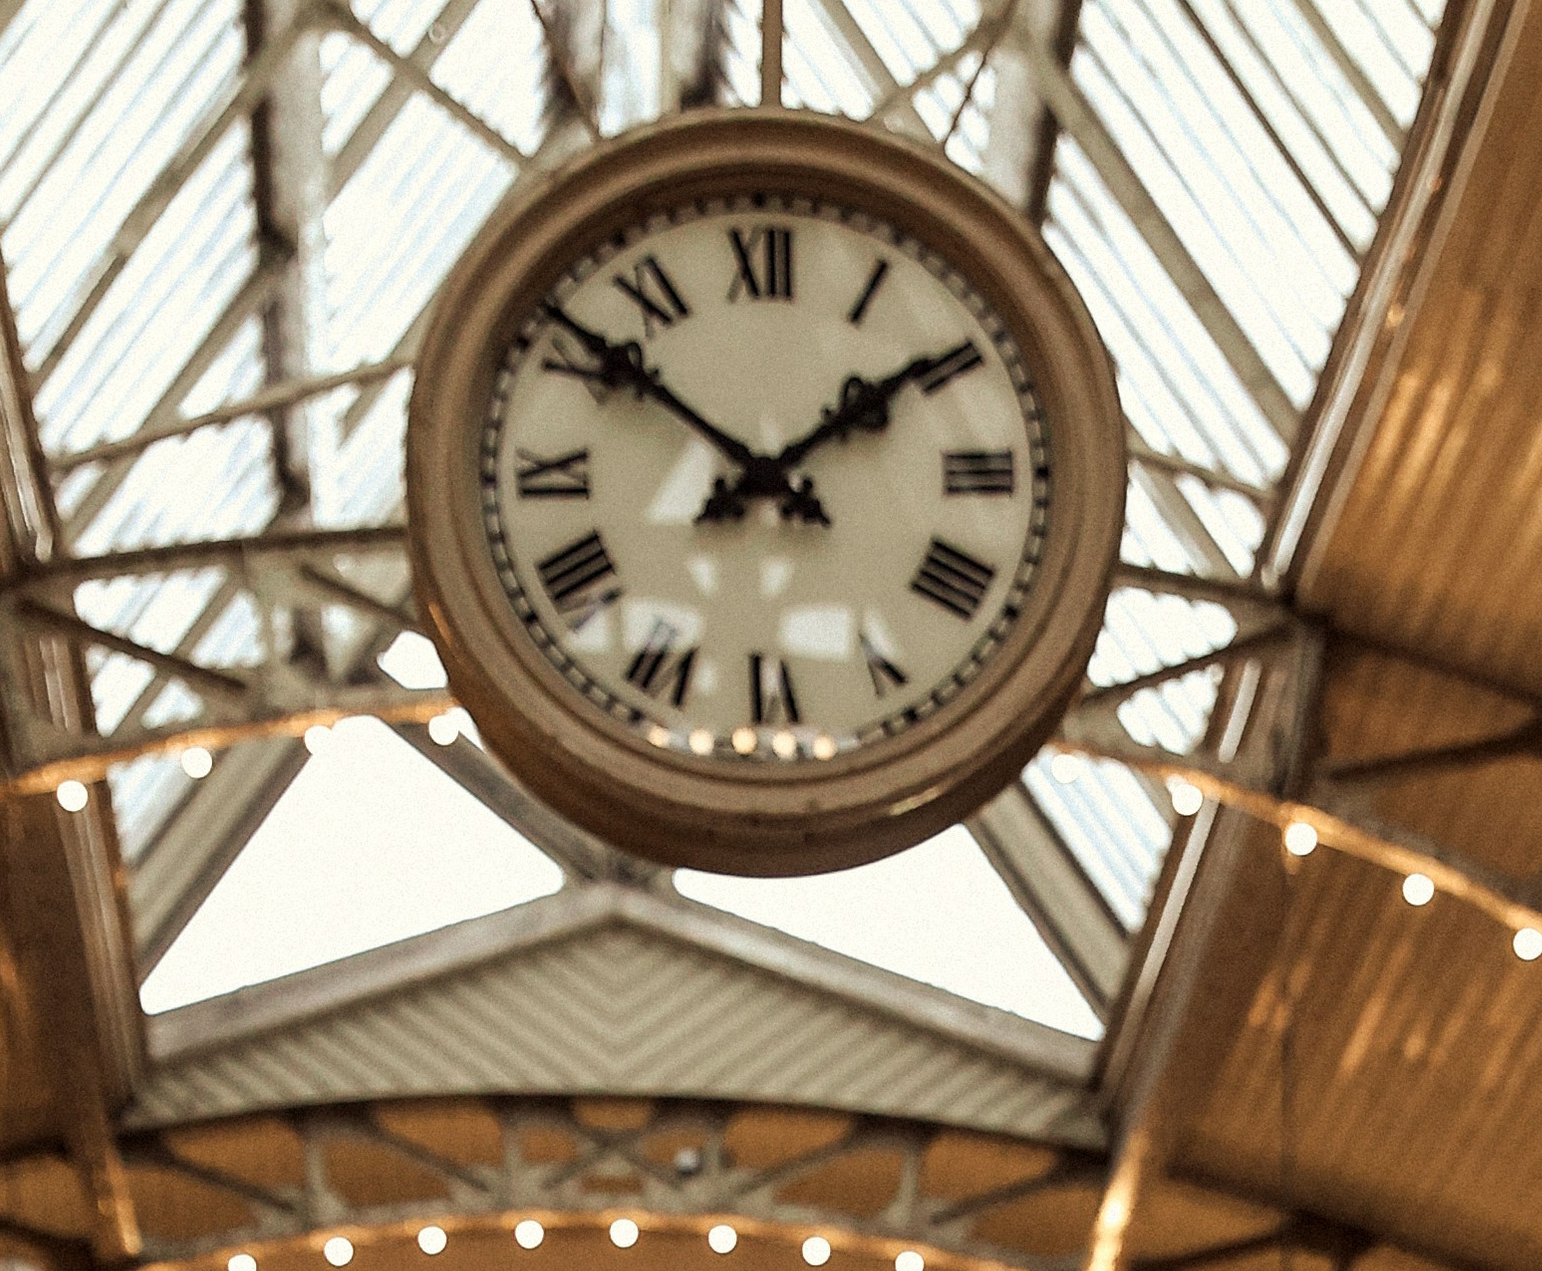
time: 1:51
